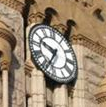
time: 9:34
